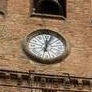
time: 12:03
